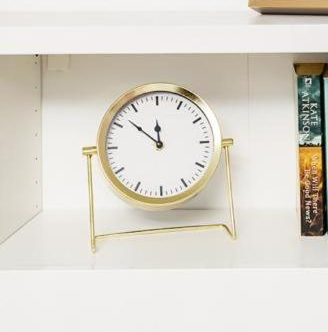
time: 11:52
